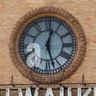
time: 12:27
